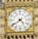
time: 4:38
